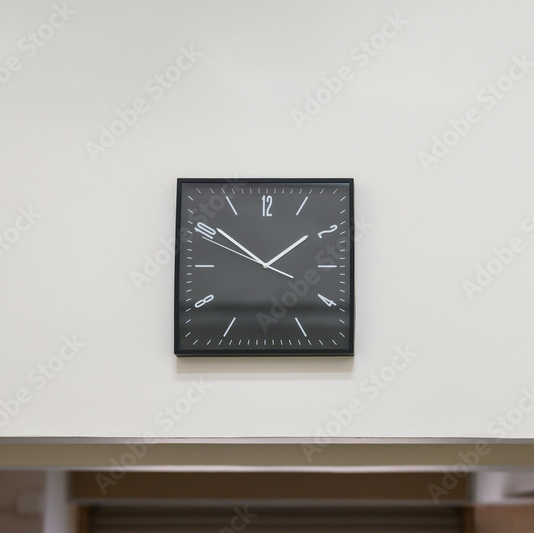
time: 1:50
